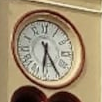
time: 6:24
